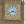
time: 3:40
